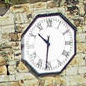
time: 10:31
